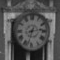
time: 2:33
